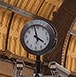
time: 3:57
